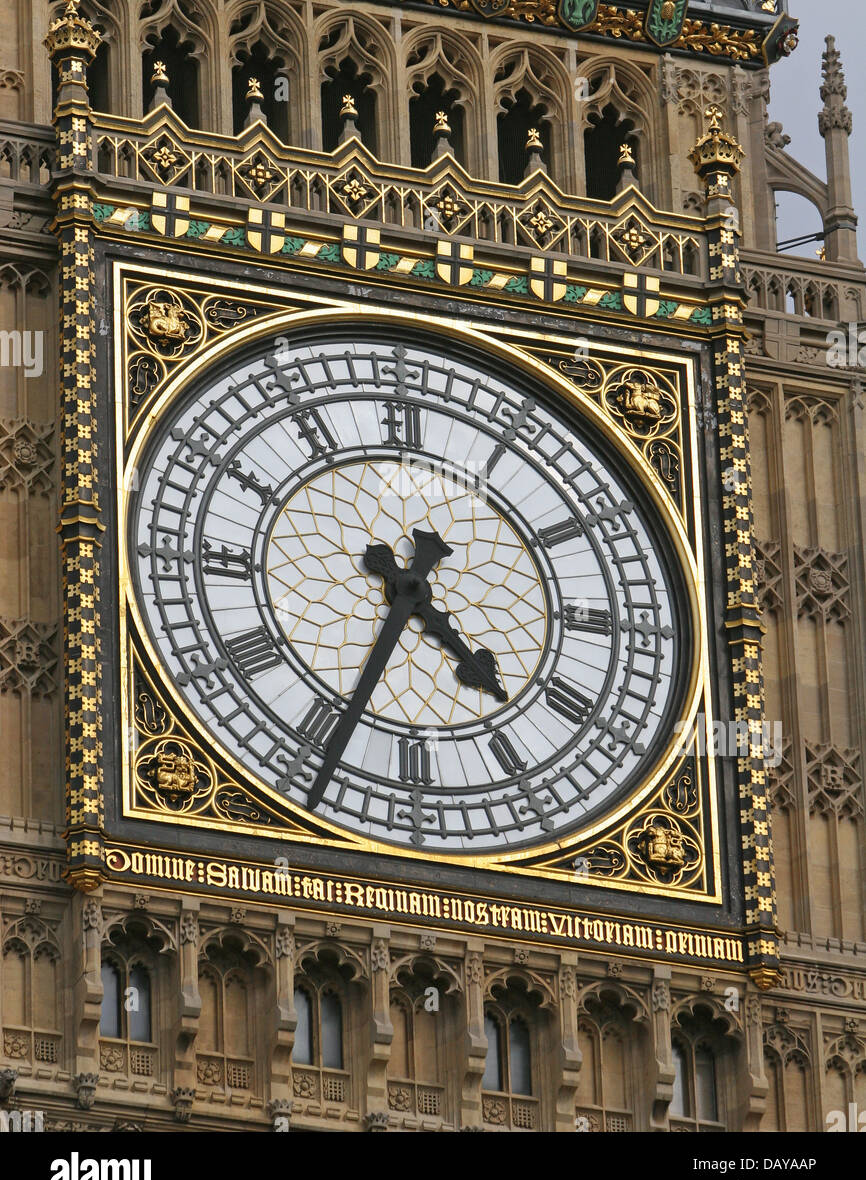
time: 4:34
